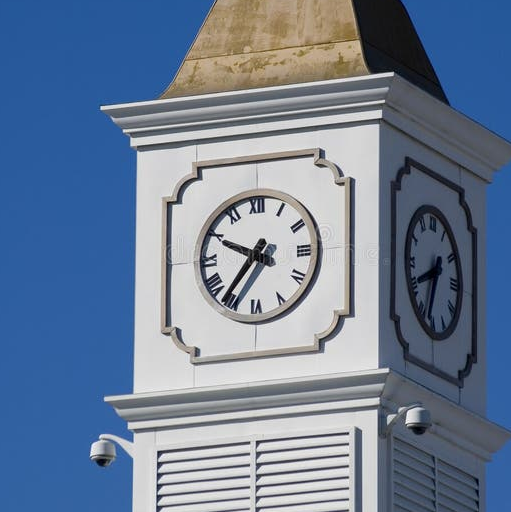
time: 9:36
